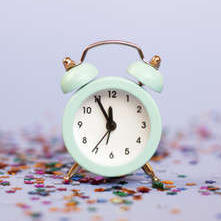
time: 11:55
